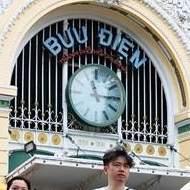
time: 11:14
